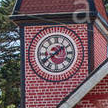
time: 1:39
